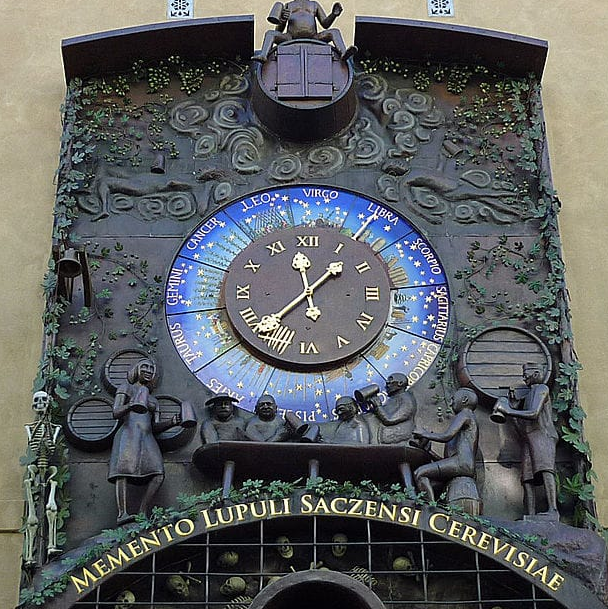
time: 11:36
